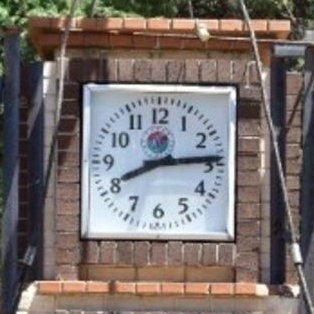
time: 8:13
